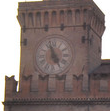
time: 4:57
